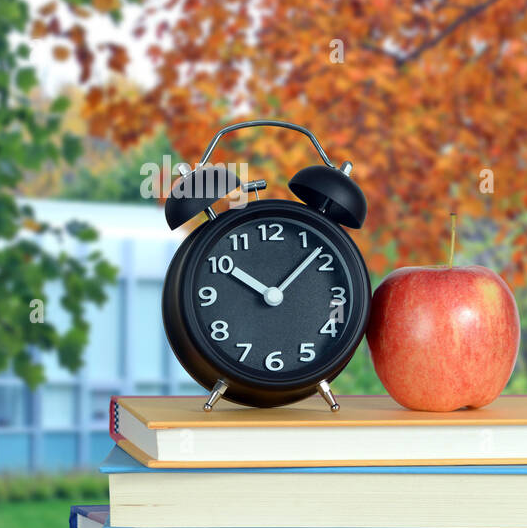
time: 10:07
